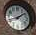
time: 1:42
